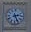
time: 2:25
